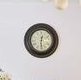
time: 12:30
